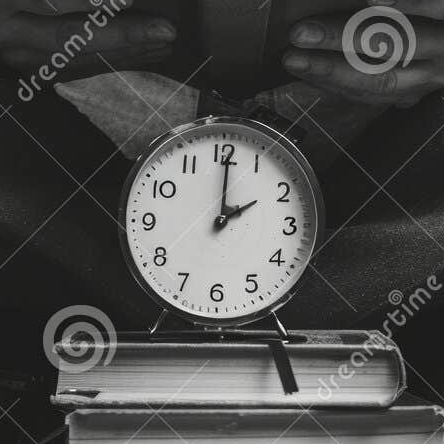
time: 2:00
